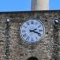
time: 2:18
